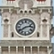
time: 2:39
